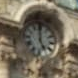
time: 4:59
